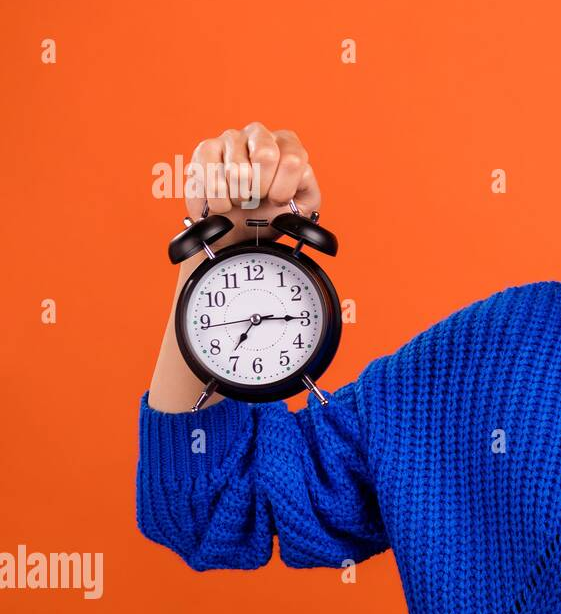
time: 7:15
